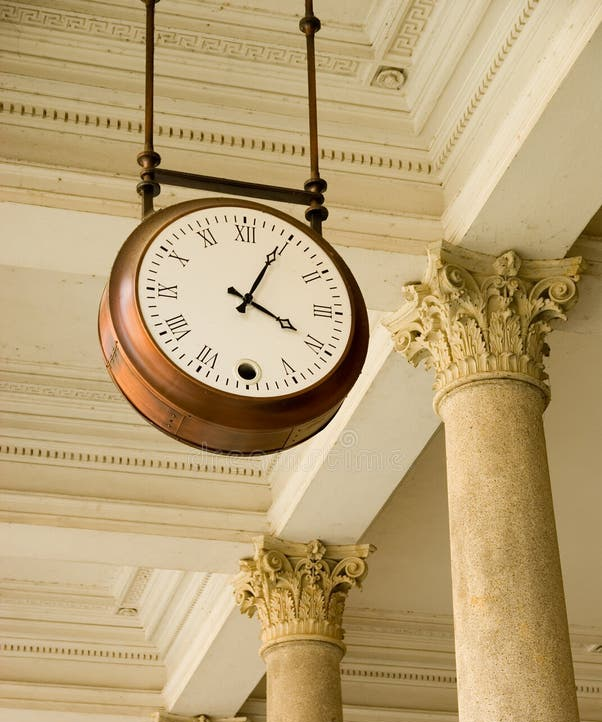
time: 4:04
